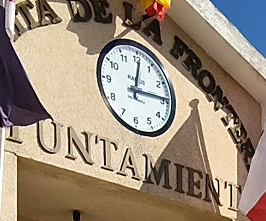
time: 12:14
